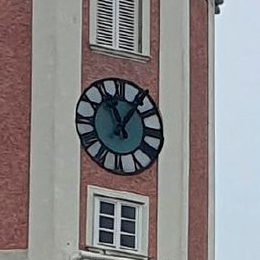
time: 11:06
